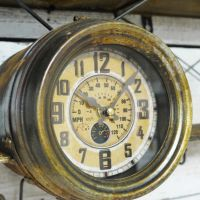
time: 7:07
